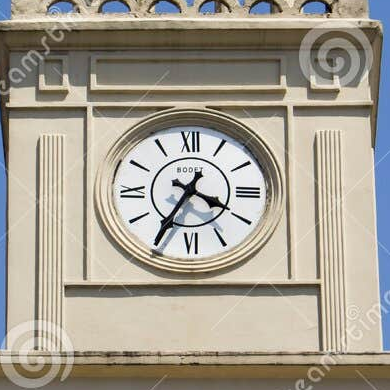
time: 3:35
